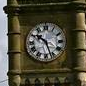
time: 10:26
